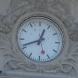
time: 12:41
